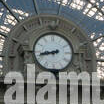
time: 8:42
